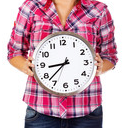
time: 8:37
